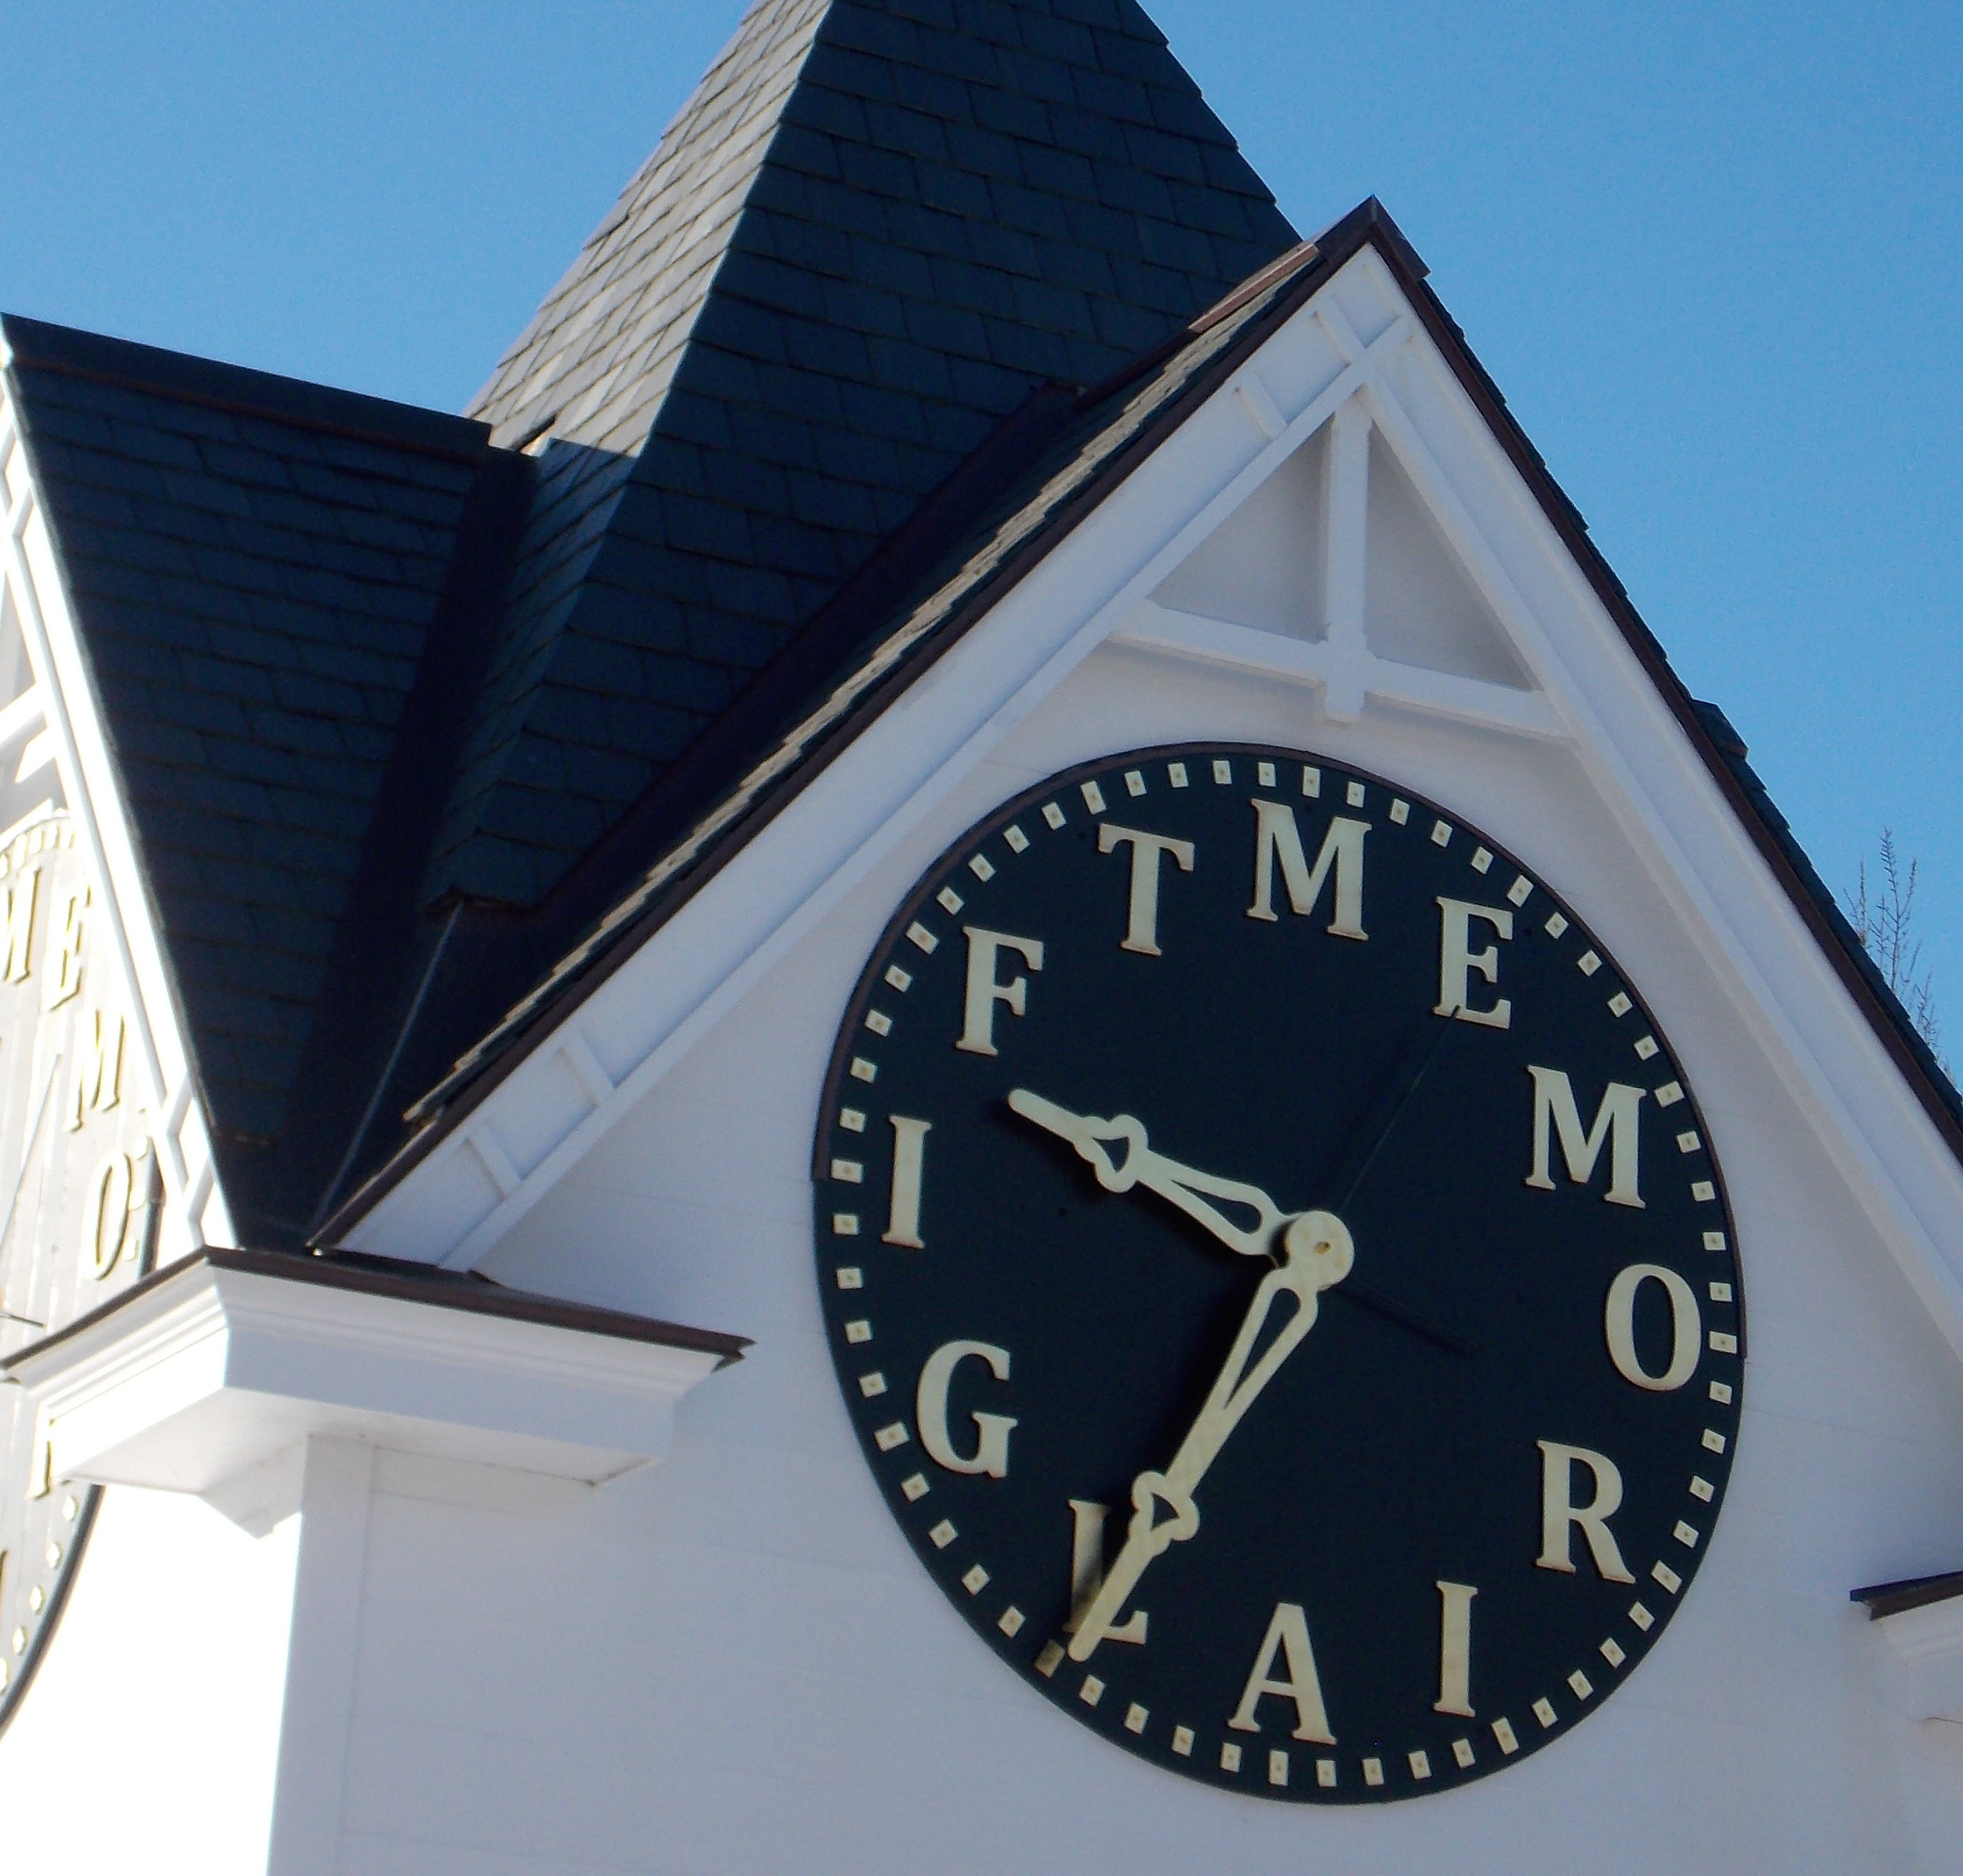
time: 9:34
